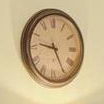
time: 9:25
